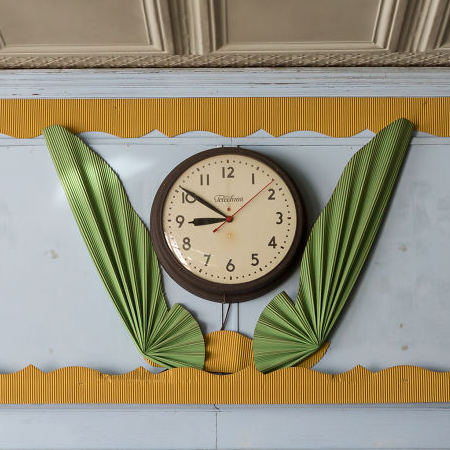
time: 8:50
